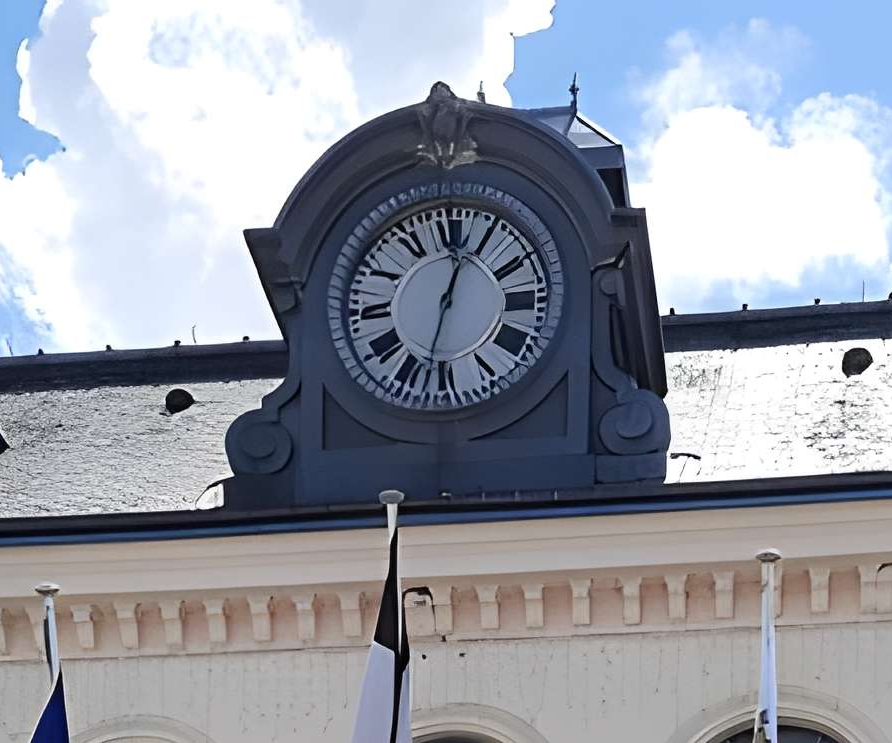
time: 12:32
